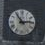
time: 2:54
